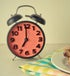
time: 7:00
